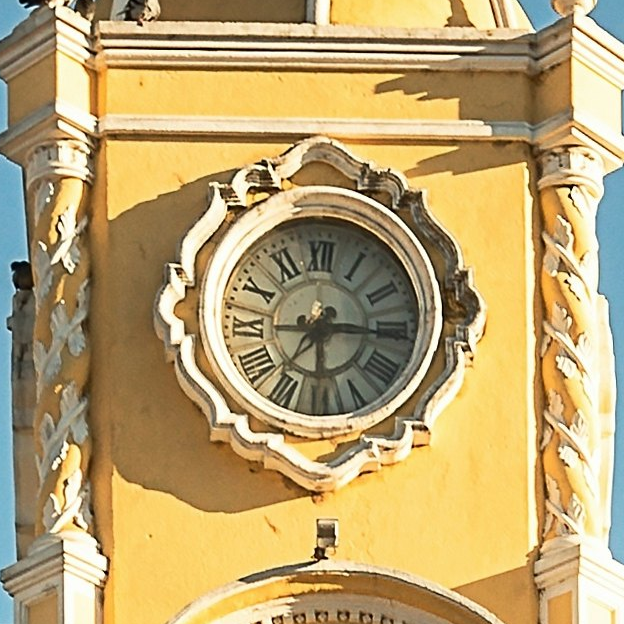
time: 7:15
